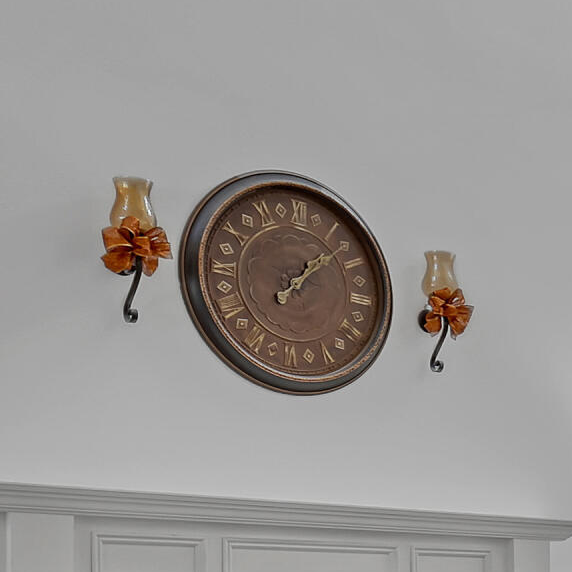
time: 1:07
